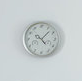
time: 10:07
